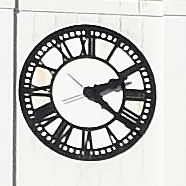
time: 2:21
